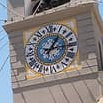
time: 1:13
